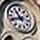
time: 10:41
